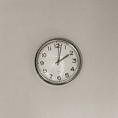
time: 2:01
